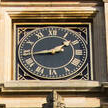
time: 1:43
